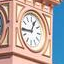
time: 12:44
